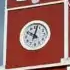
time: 10:02
